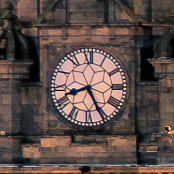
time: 8:25
